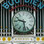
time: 9:28
